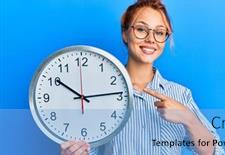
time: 10:13
